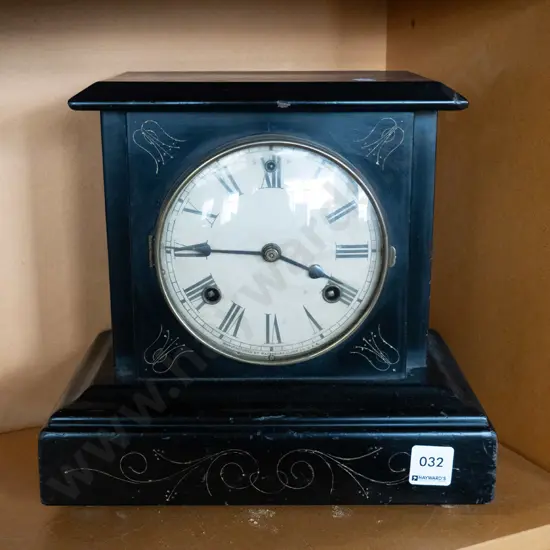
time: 3:45
